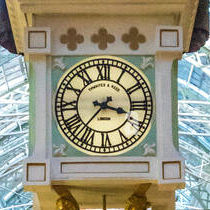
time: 3:37
